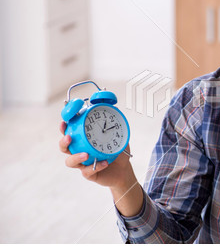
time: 1:14
